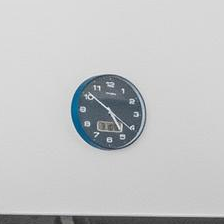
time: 4:51
